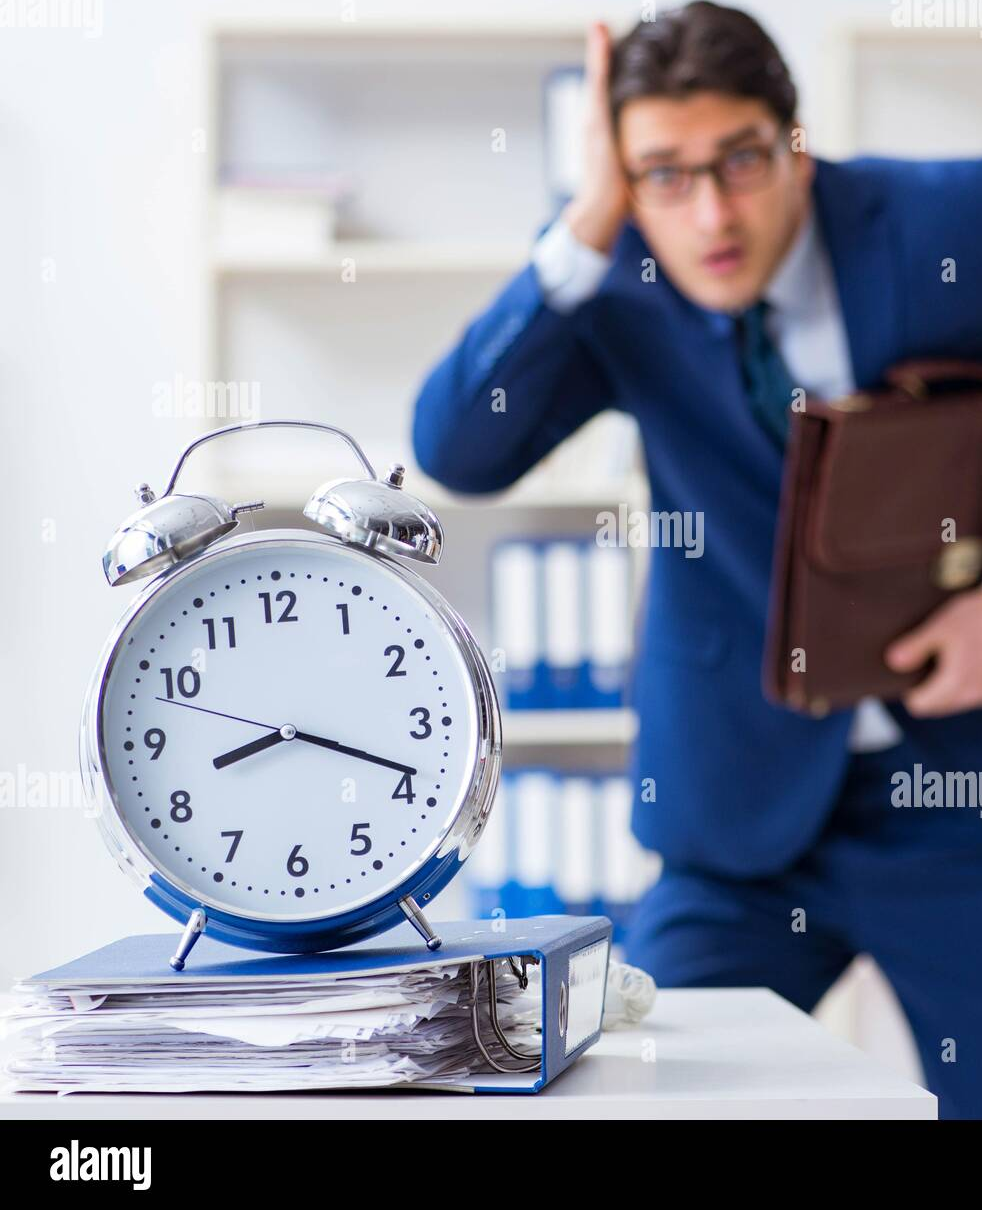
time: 8:18
